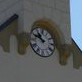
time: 10:48
